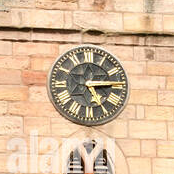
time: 5:14
